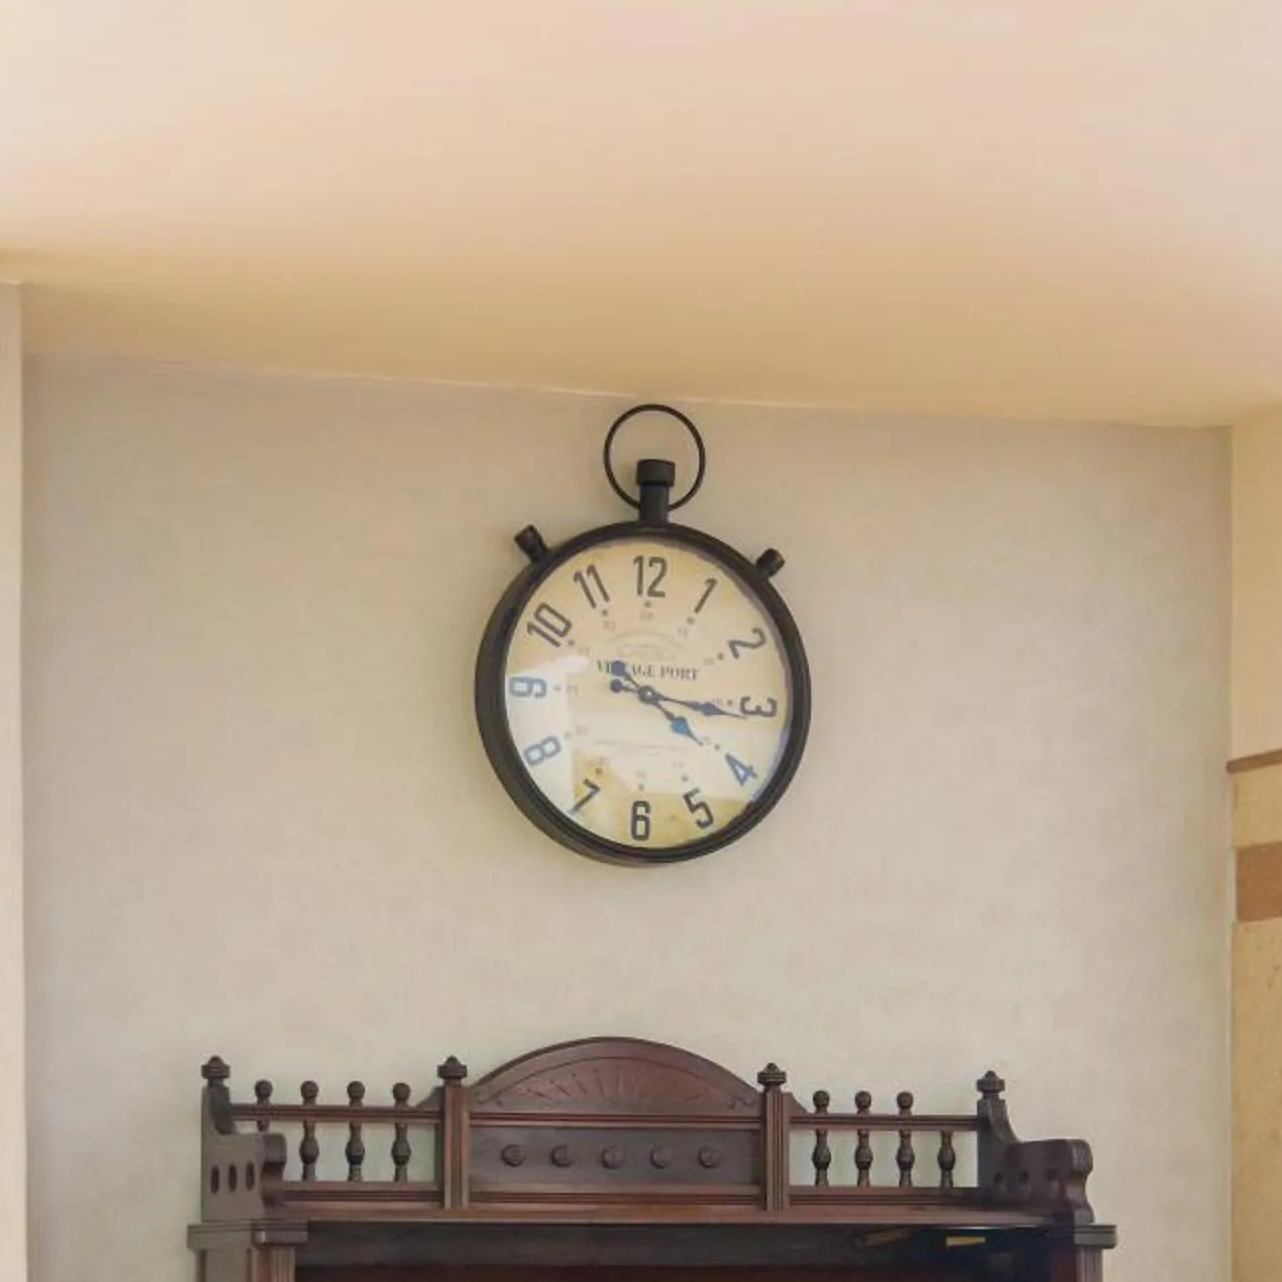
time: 4:16
